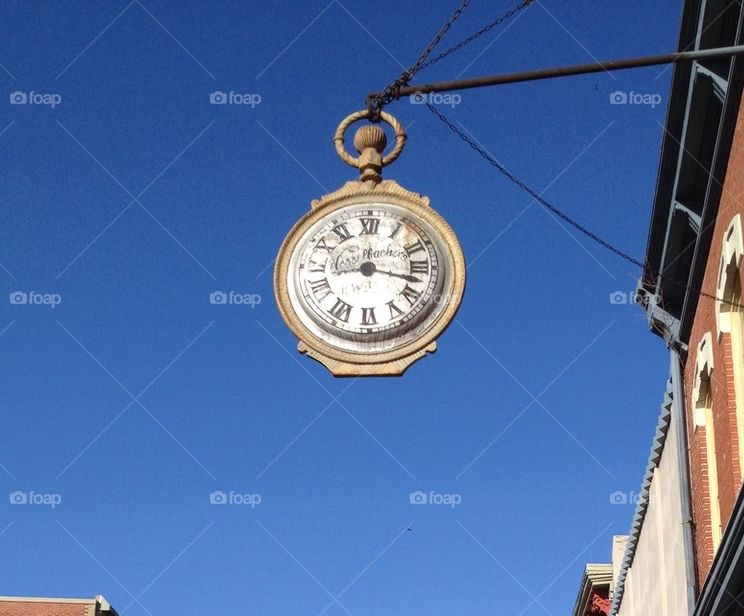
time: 12:16
